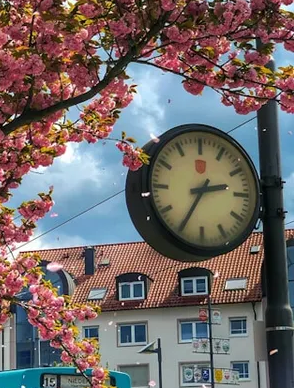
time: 2:35
